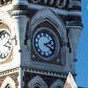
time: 2:19
